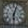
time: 6:03
